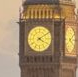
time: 4:09
